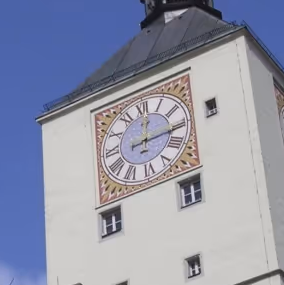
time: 12:15
